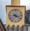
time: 4:17
